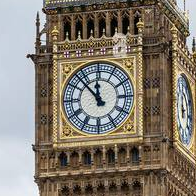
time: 11:52
